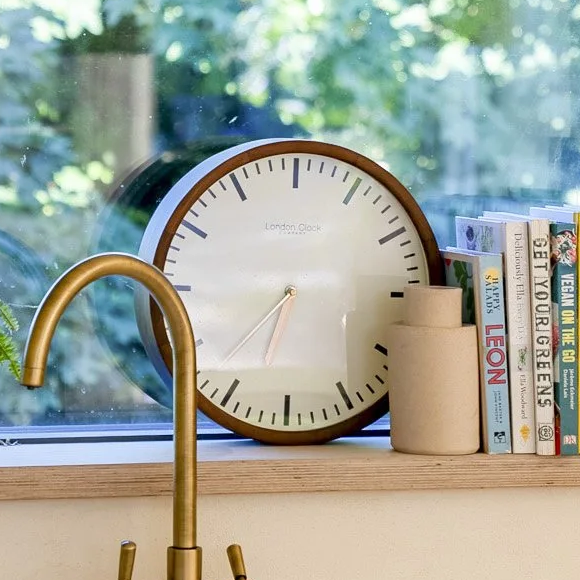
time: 6:36
